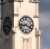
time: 3:43
